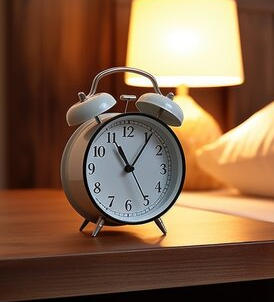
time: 11:05
